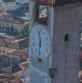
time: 11:32
